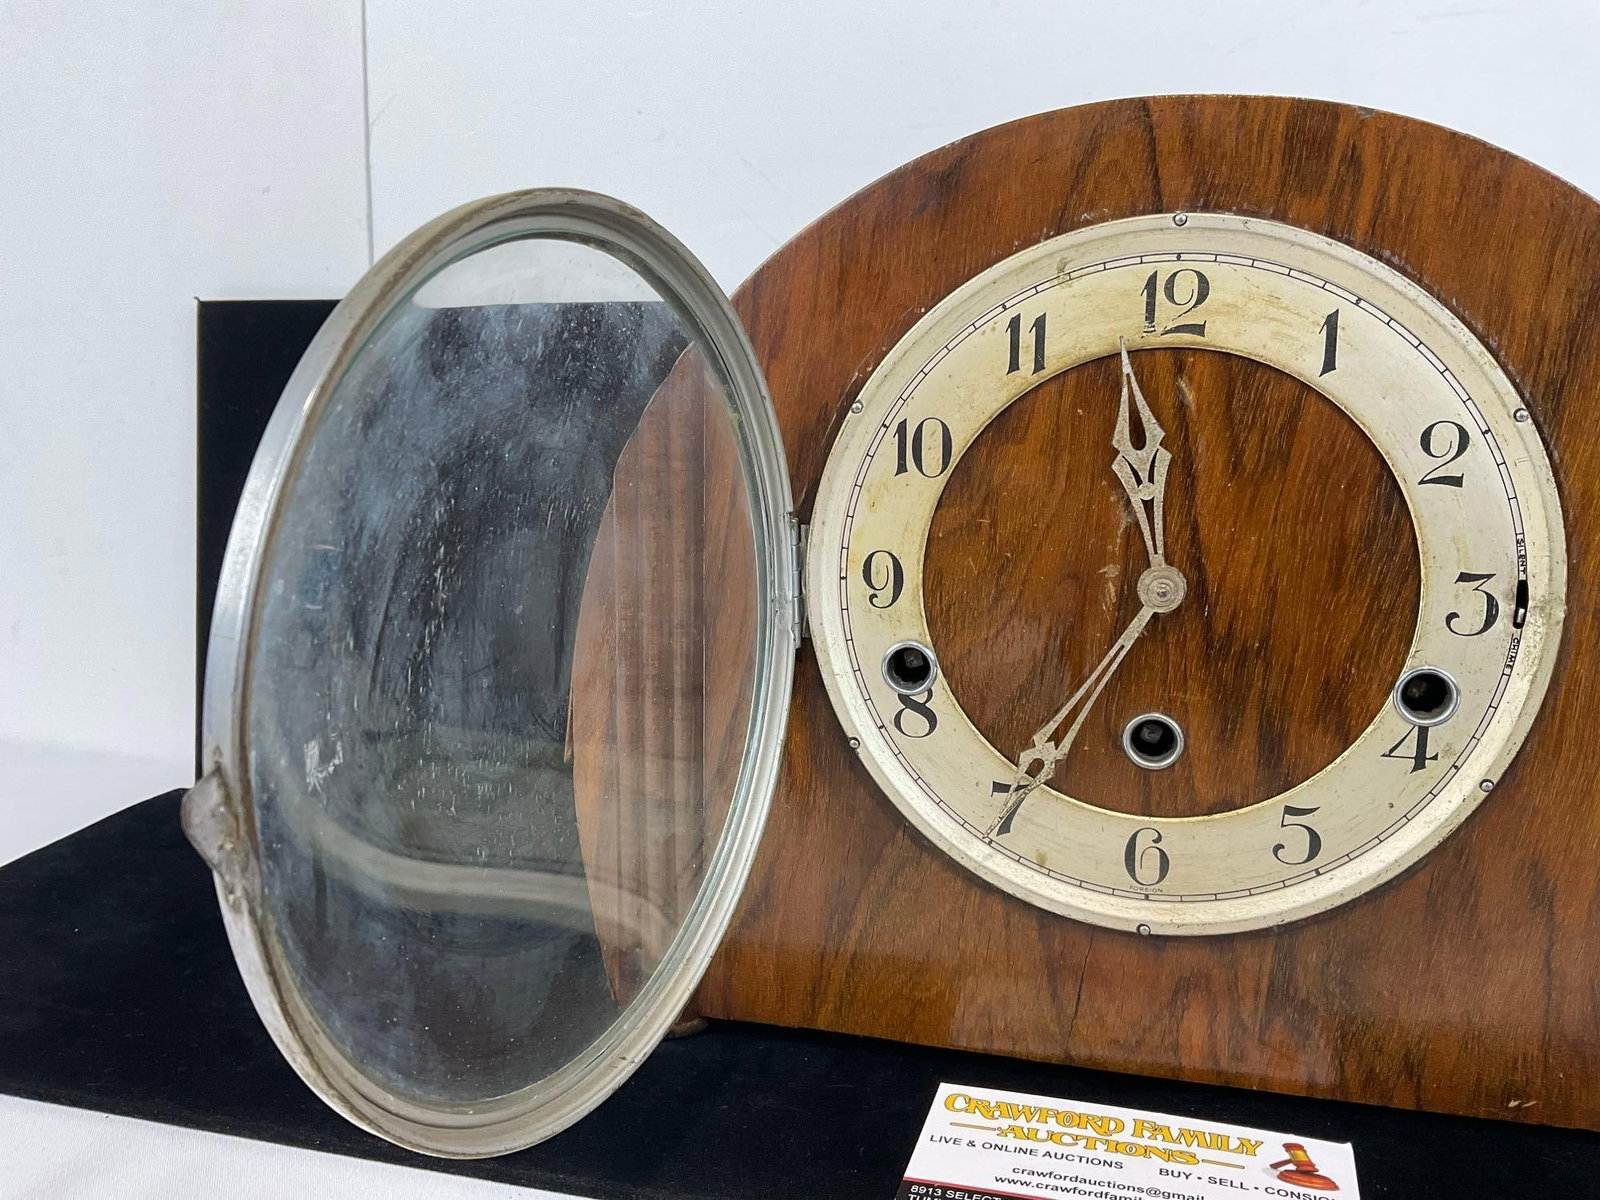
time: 11:35
